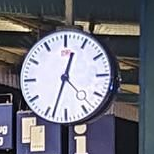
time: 12:33
